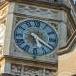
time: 5:20
